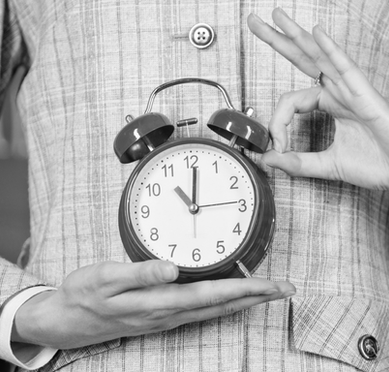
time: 11:01
